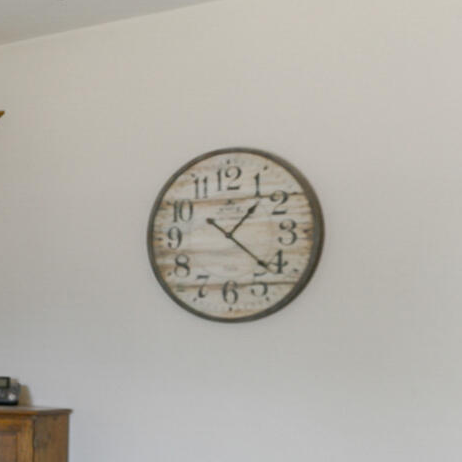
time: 1:21
